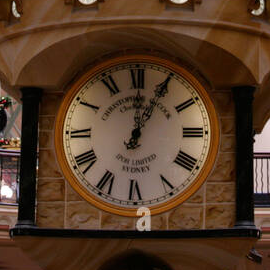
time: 12:04
